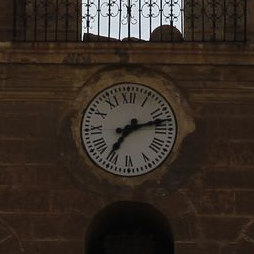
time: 7:12
